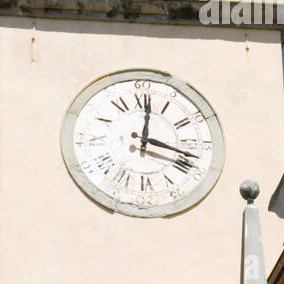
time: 12:17
